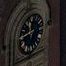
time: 11:42
